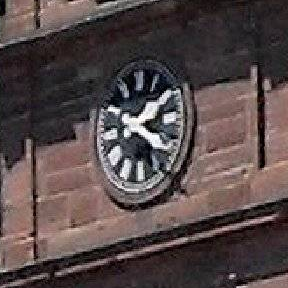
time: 1:18
